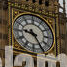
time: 9:25
